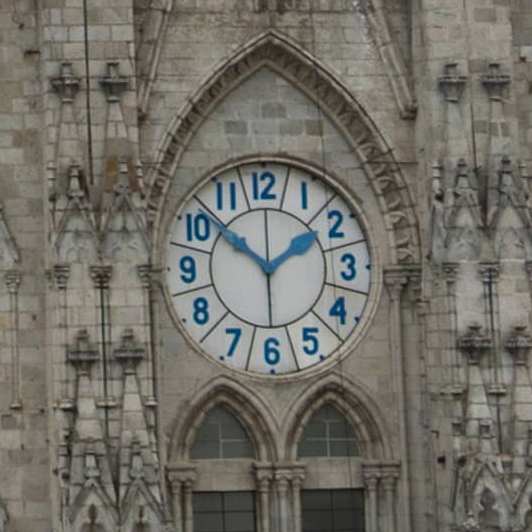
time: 1:51
